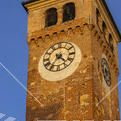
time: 4:35
